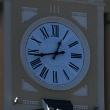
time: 12:43
